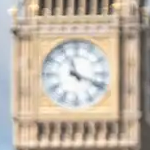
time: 11:18
